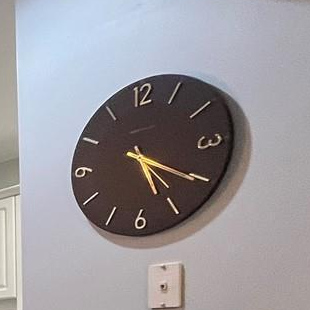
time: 5:20
